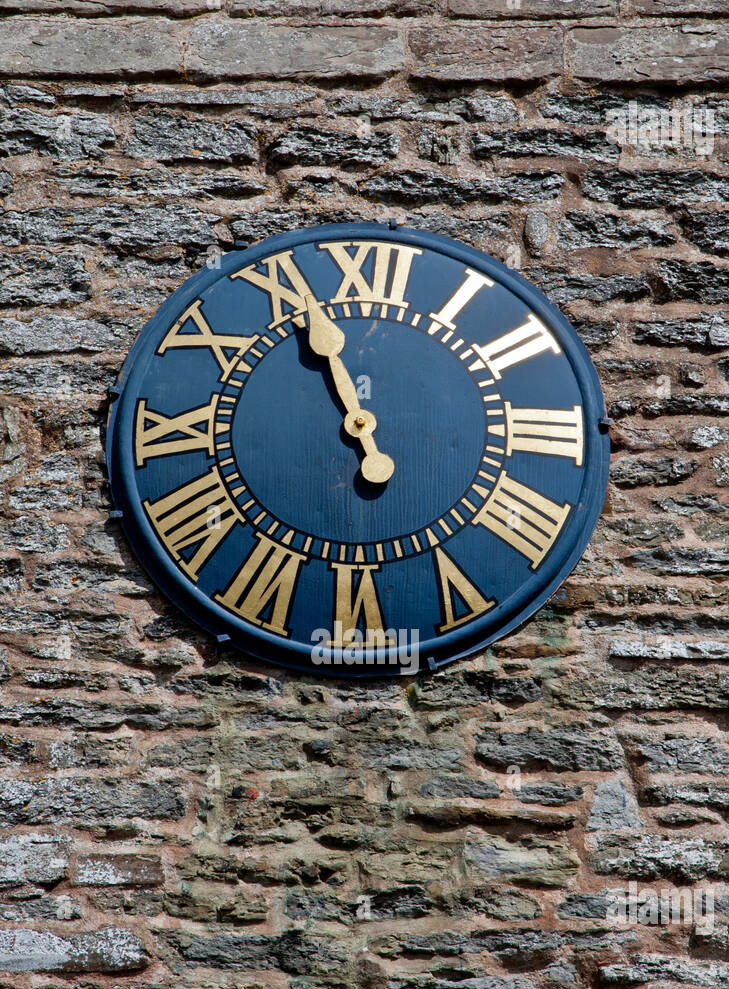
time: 10:56
